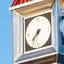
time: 7:37
